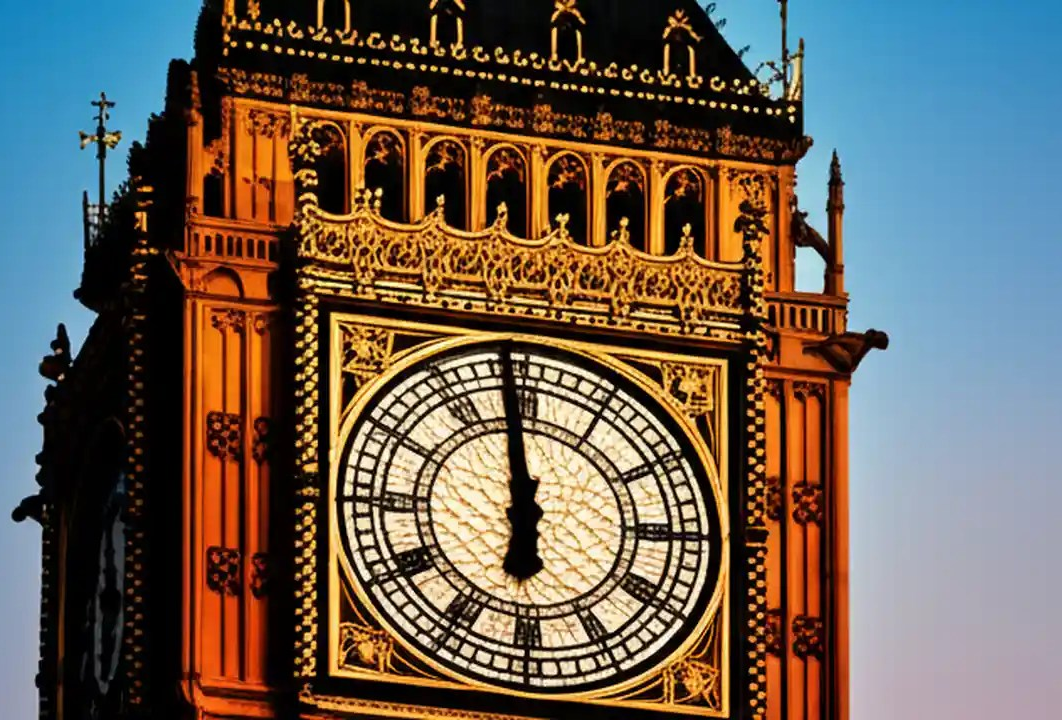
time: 5:58
